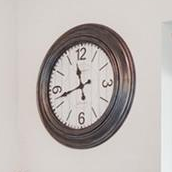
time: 11:42
